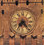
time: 7:23
